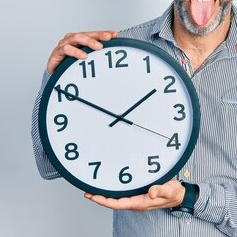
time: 1:50
